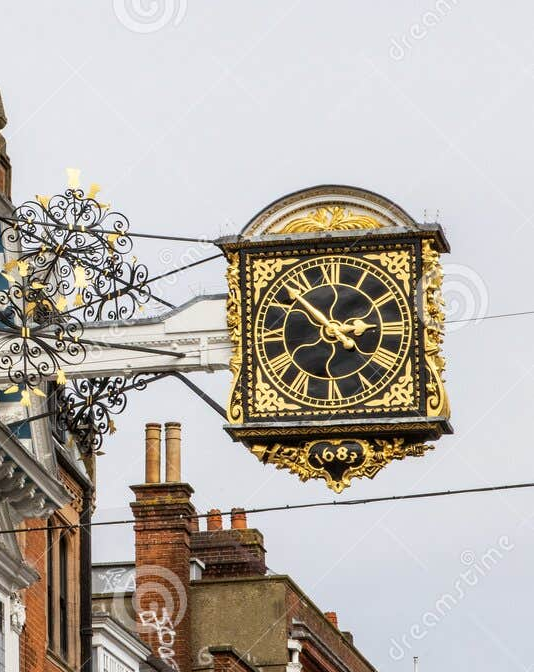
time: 2:52
